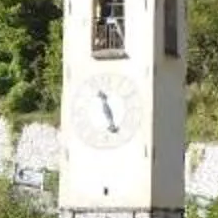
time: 5:26
